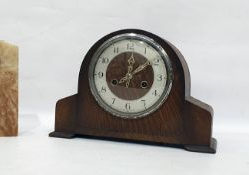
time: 12:09
